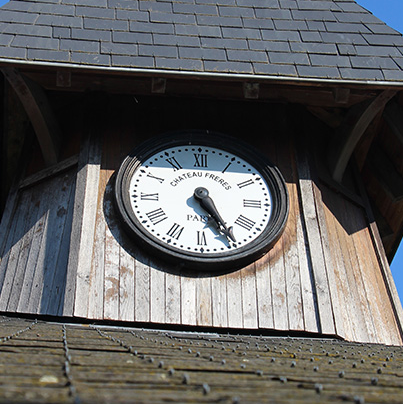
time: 5:24
